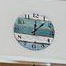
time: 12:07
